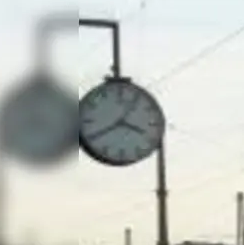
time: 3:40
